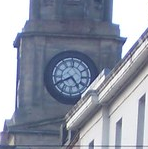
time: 4:40
